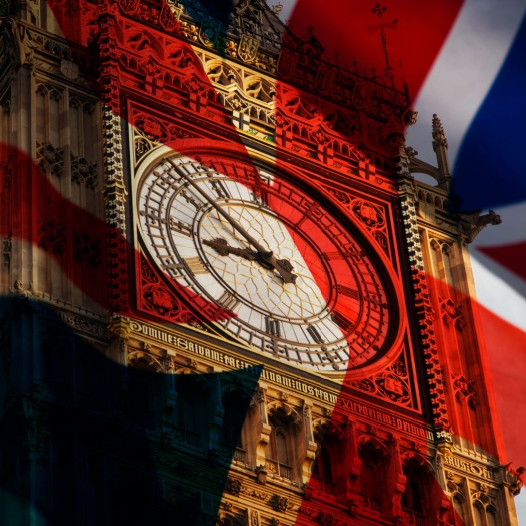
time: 8:52
